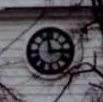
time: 2:57
